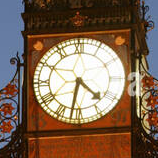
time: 4:32
